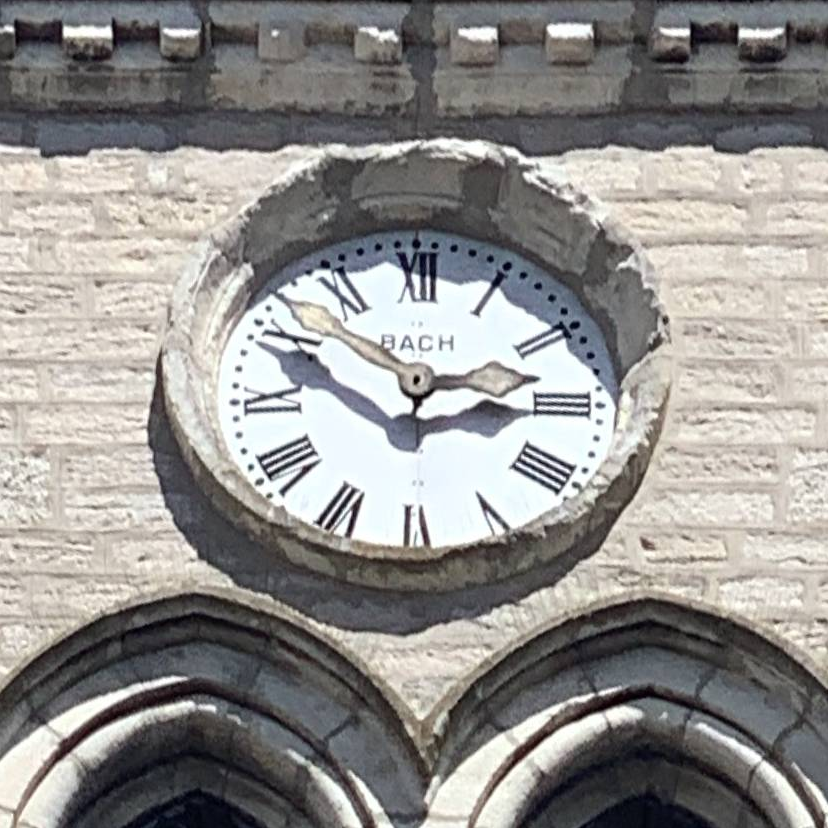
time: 2:49
